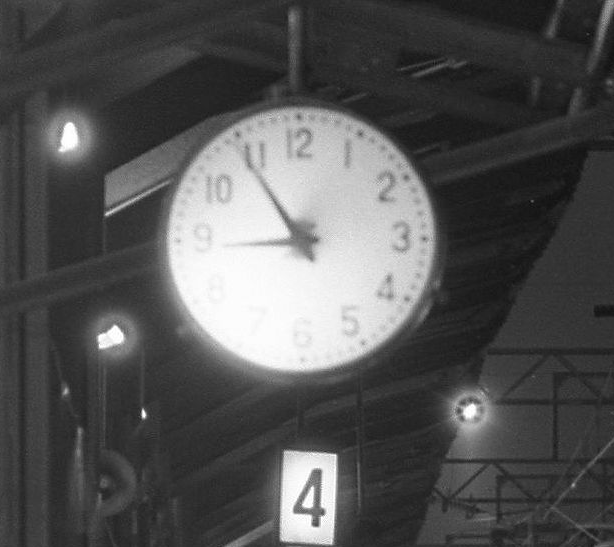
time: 8:54
